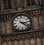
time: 3:22
